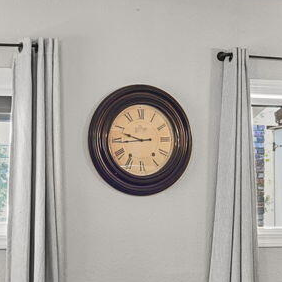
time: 9:44
